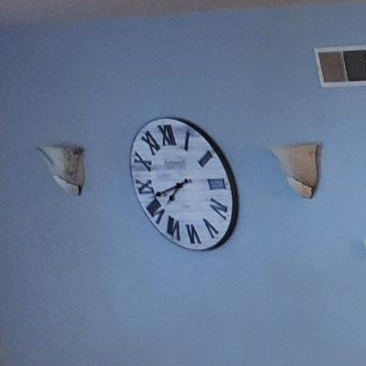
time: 7:42
